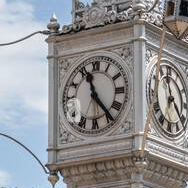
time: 11:23
